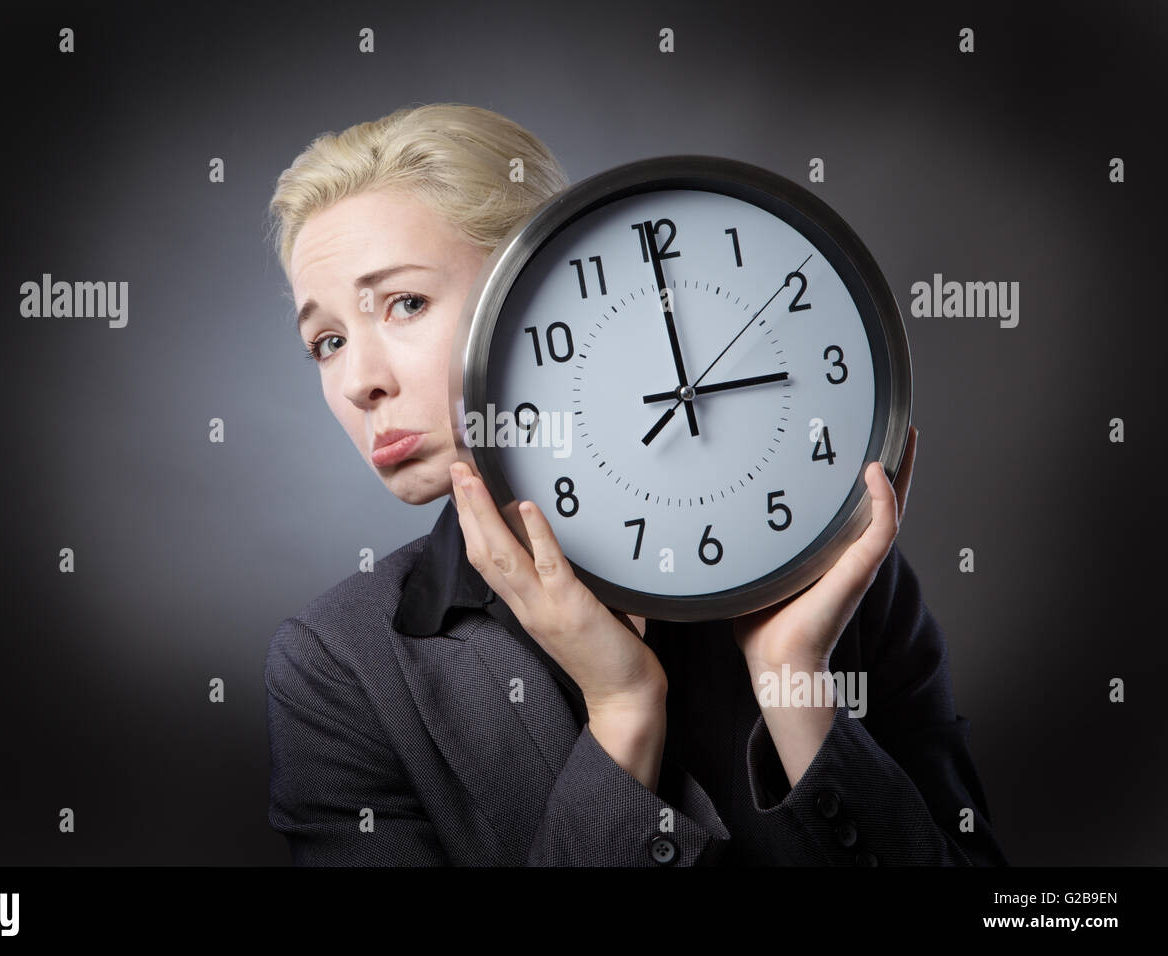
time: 2:59
